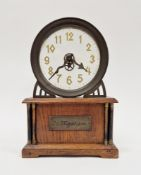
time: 7:20
